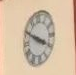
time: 3:49
